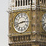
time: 2:42
